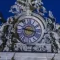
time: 9:17
